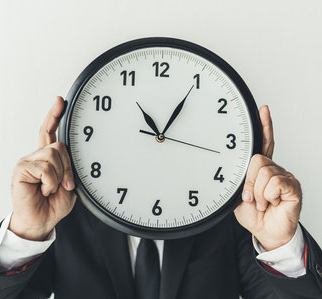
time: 11:05
